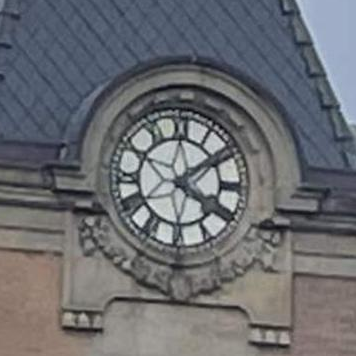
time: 4:08
